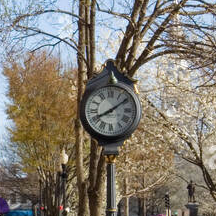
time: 8:09
